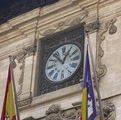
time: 12:52
